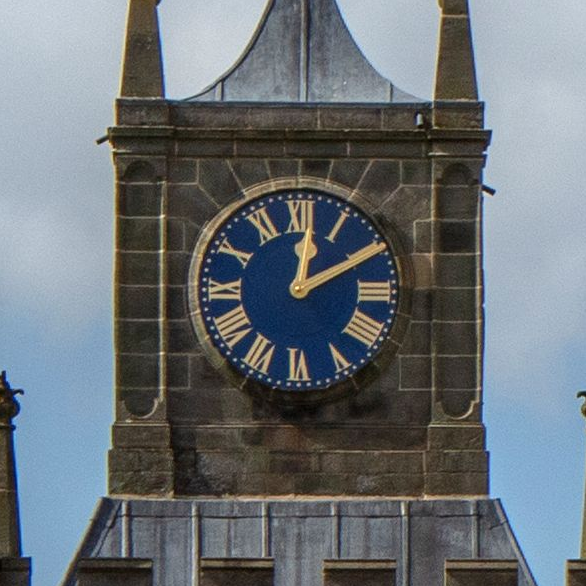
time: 12:10
